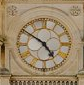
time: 4:50
